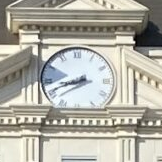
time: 8:41
